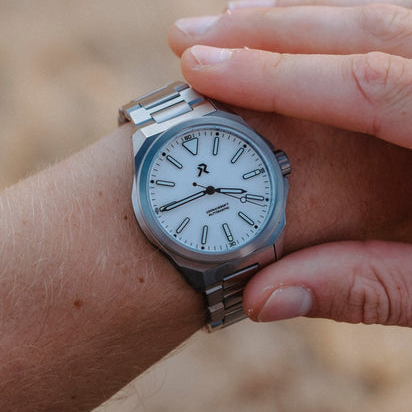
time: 2:40
